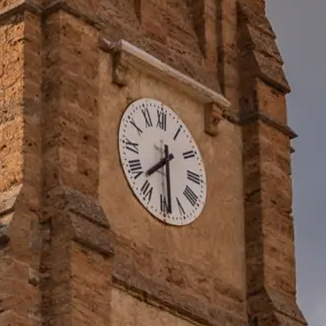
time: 7:29
